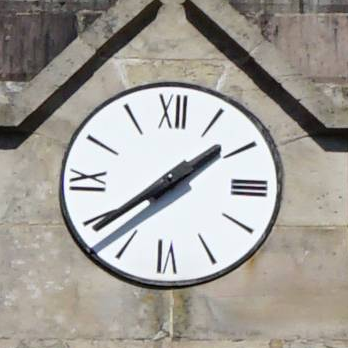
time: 1:38
